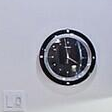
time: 3:58
